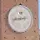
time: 2:43
